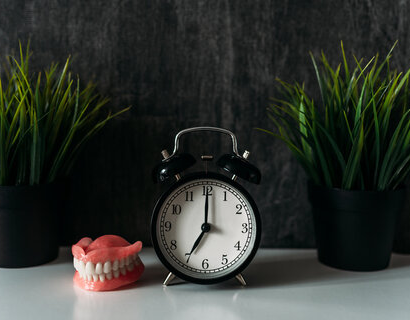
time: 7:00
